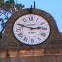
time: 2:48
